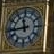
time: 11:43
